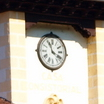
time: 3:56
